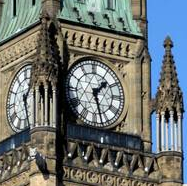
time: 1:27
